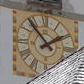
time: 1:53
